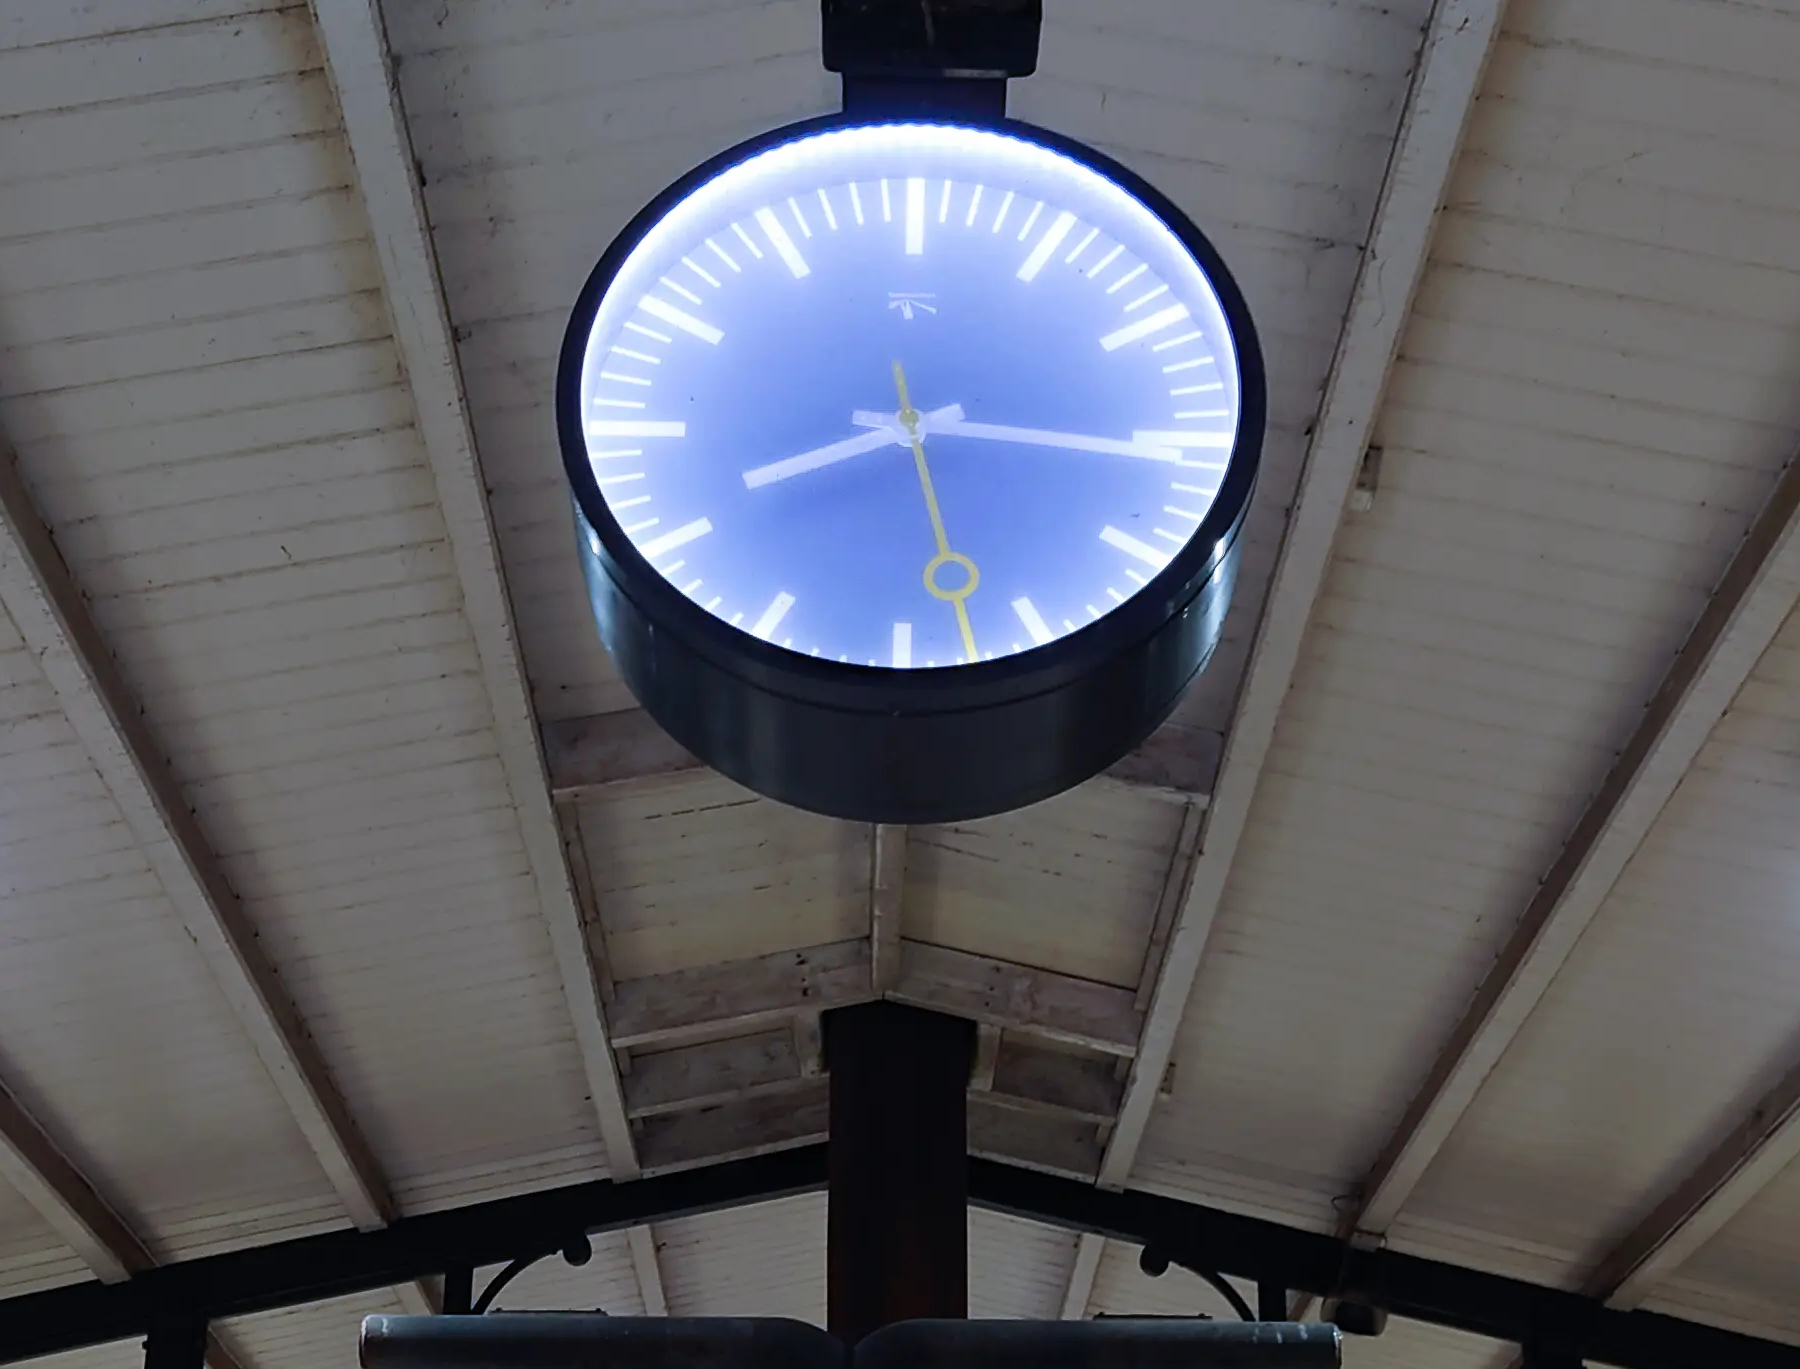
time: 8:16
